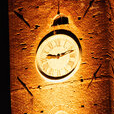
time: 9:12
